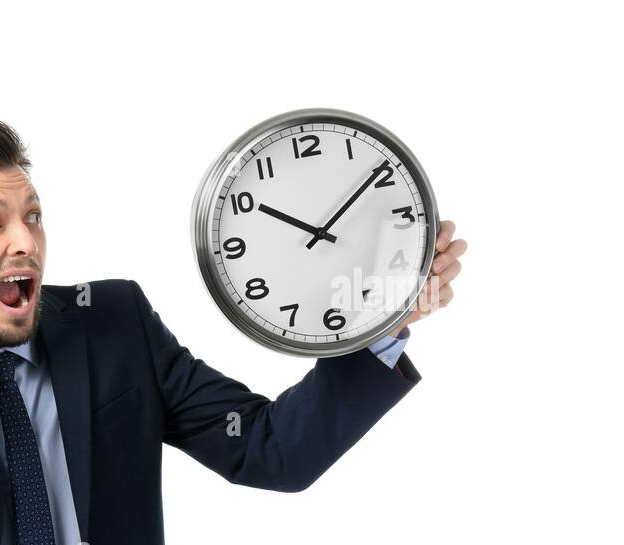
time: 10:09
